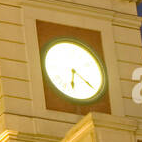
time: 6:21
